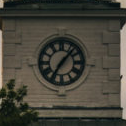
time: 7:07
